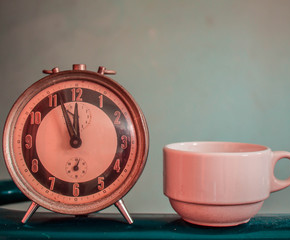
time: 11:56
